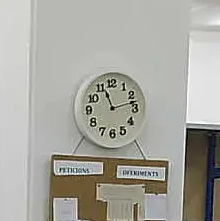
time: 11:12
